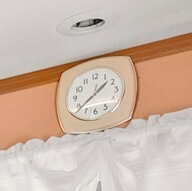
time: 1:38
